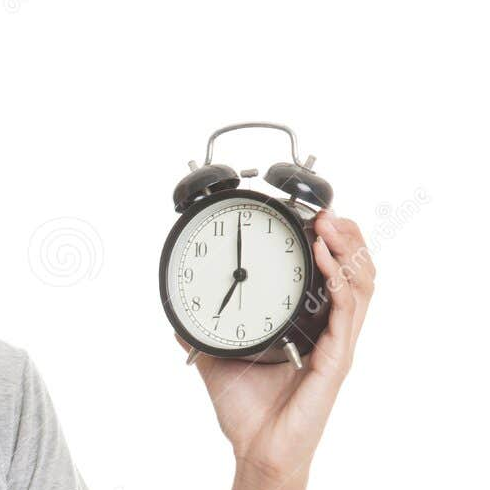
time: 7:00
